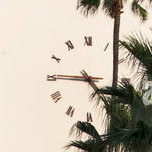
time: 4:45
